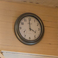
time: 3:59
